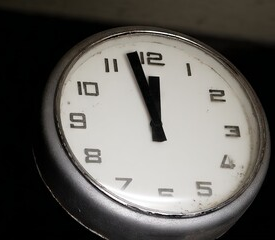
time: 11:57
